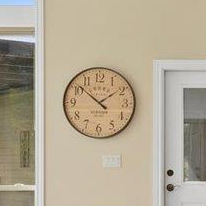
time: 1:51
